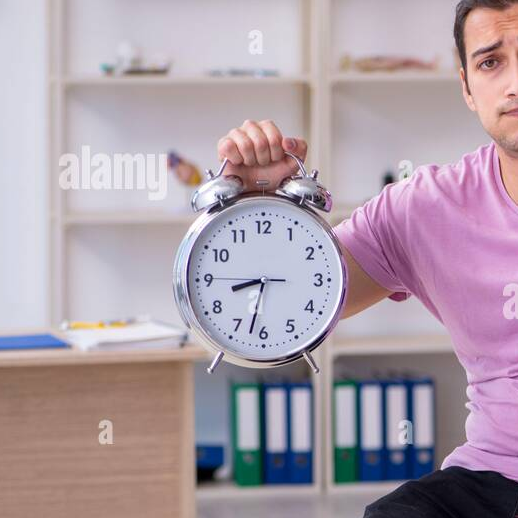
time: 8:32
